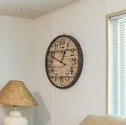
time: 12:48
